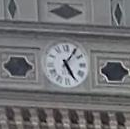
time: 5:05
